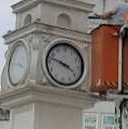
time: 3:47
